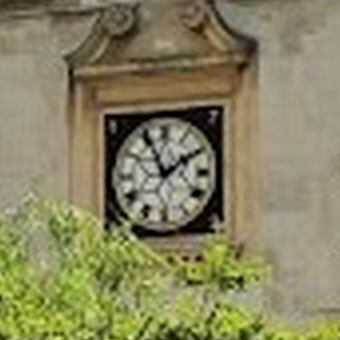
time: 1:55
